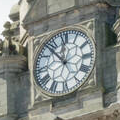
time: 11:53
